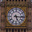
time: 5:15
